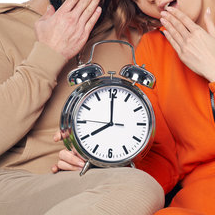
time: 8:00
